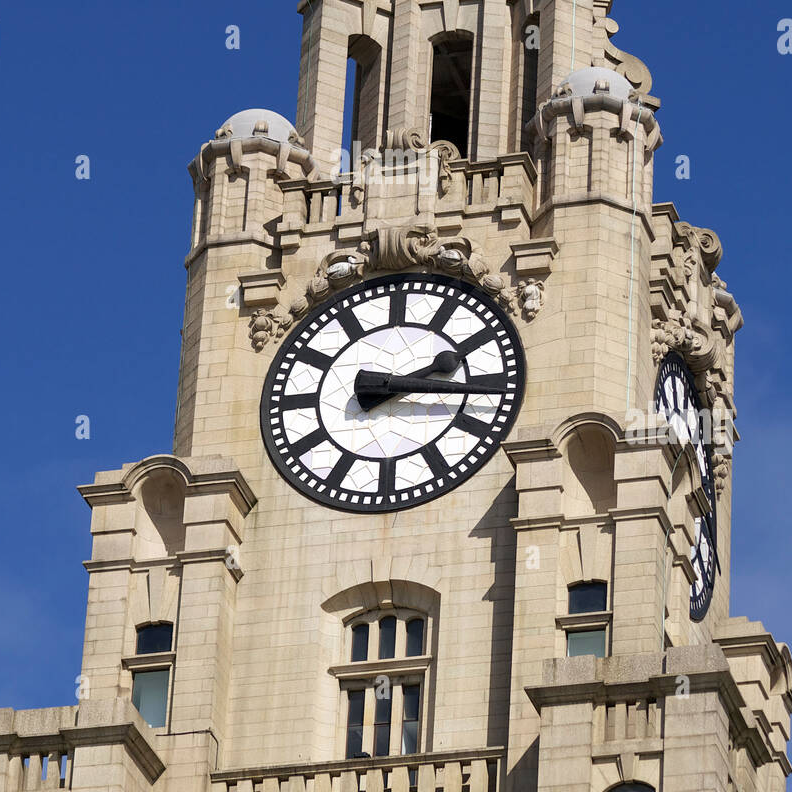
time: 2:15
